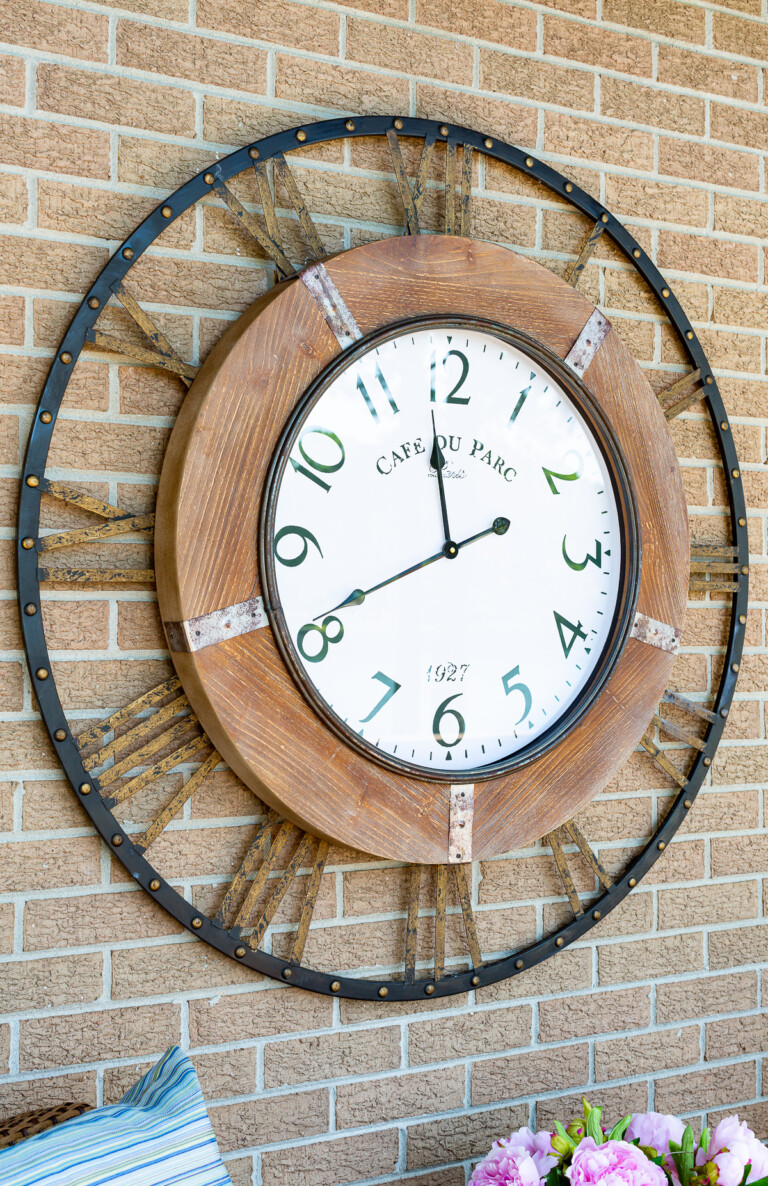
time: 11:40
